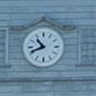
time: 10:41
